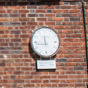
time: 11:43
